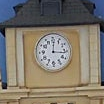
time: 12:16
